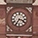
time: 3:35
